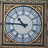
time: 10:45
